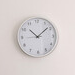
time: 10:08
